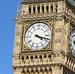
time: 4:17
